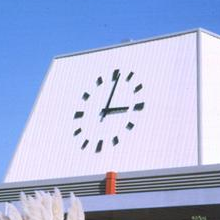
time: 3:01
